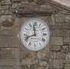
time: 11:41
